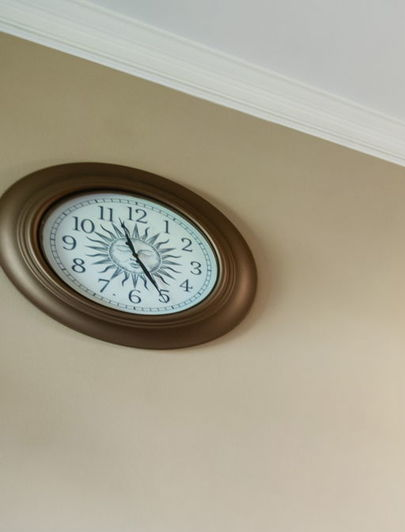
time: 11:25
